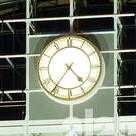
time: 4:36
